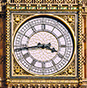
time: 3:43
